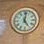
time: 5:01
